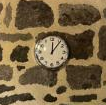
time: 12:06
